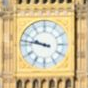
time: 9:47
